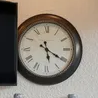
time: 5:20
